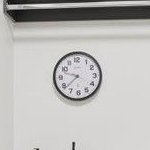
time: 9:38
